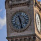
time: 11:28
